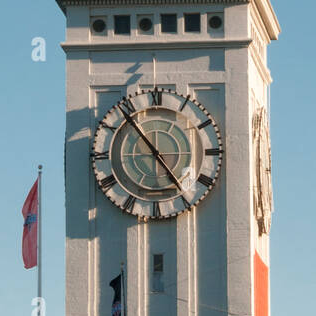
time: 4:53
